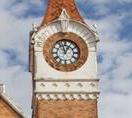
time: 12:57
